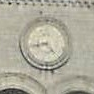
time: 8:23
